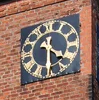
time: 4:29
